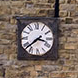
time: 3:38
